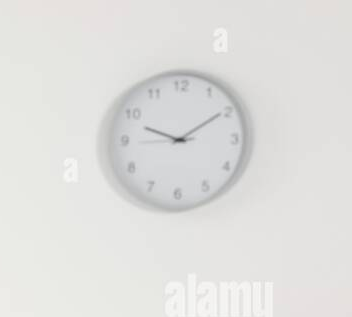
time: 9:09
